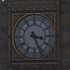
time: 3:26
